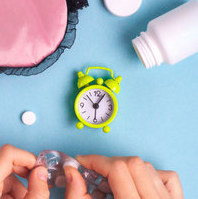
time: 12:52
